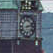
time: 2:12
